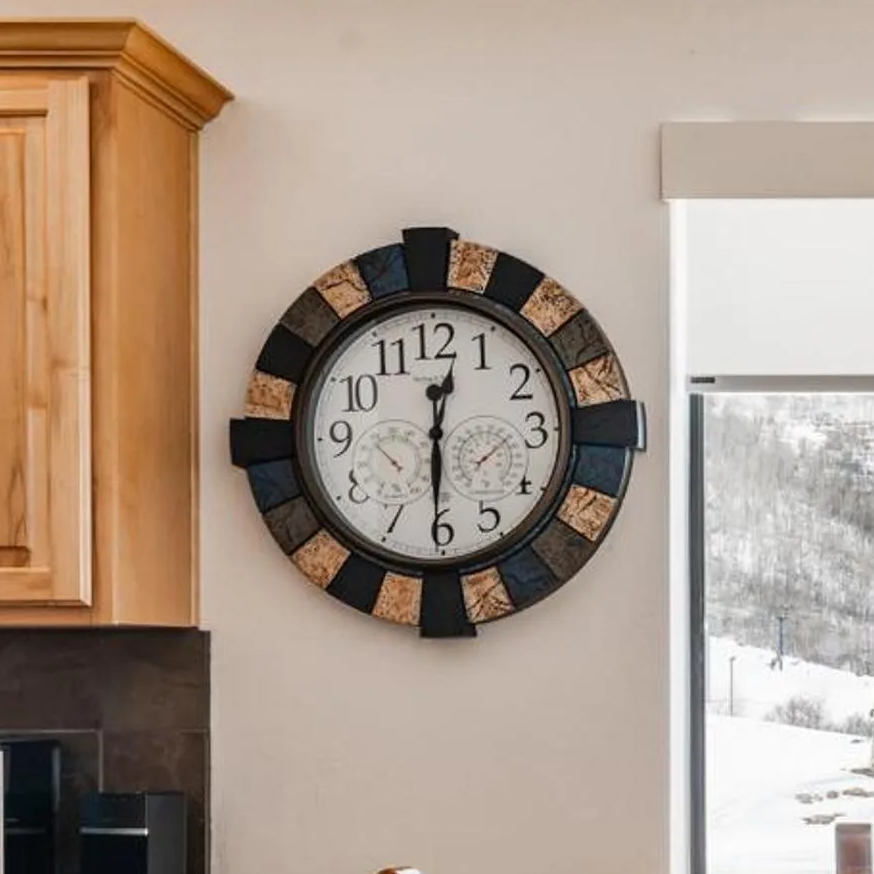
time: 12:30
